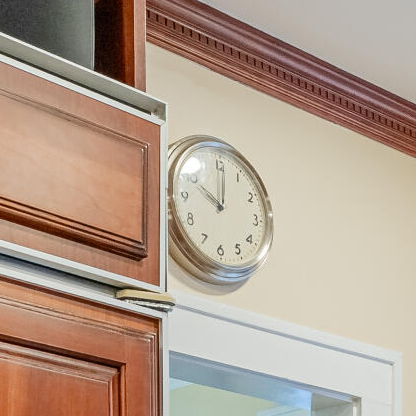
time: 10:00
